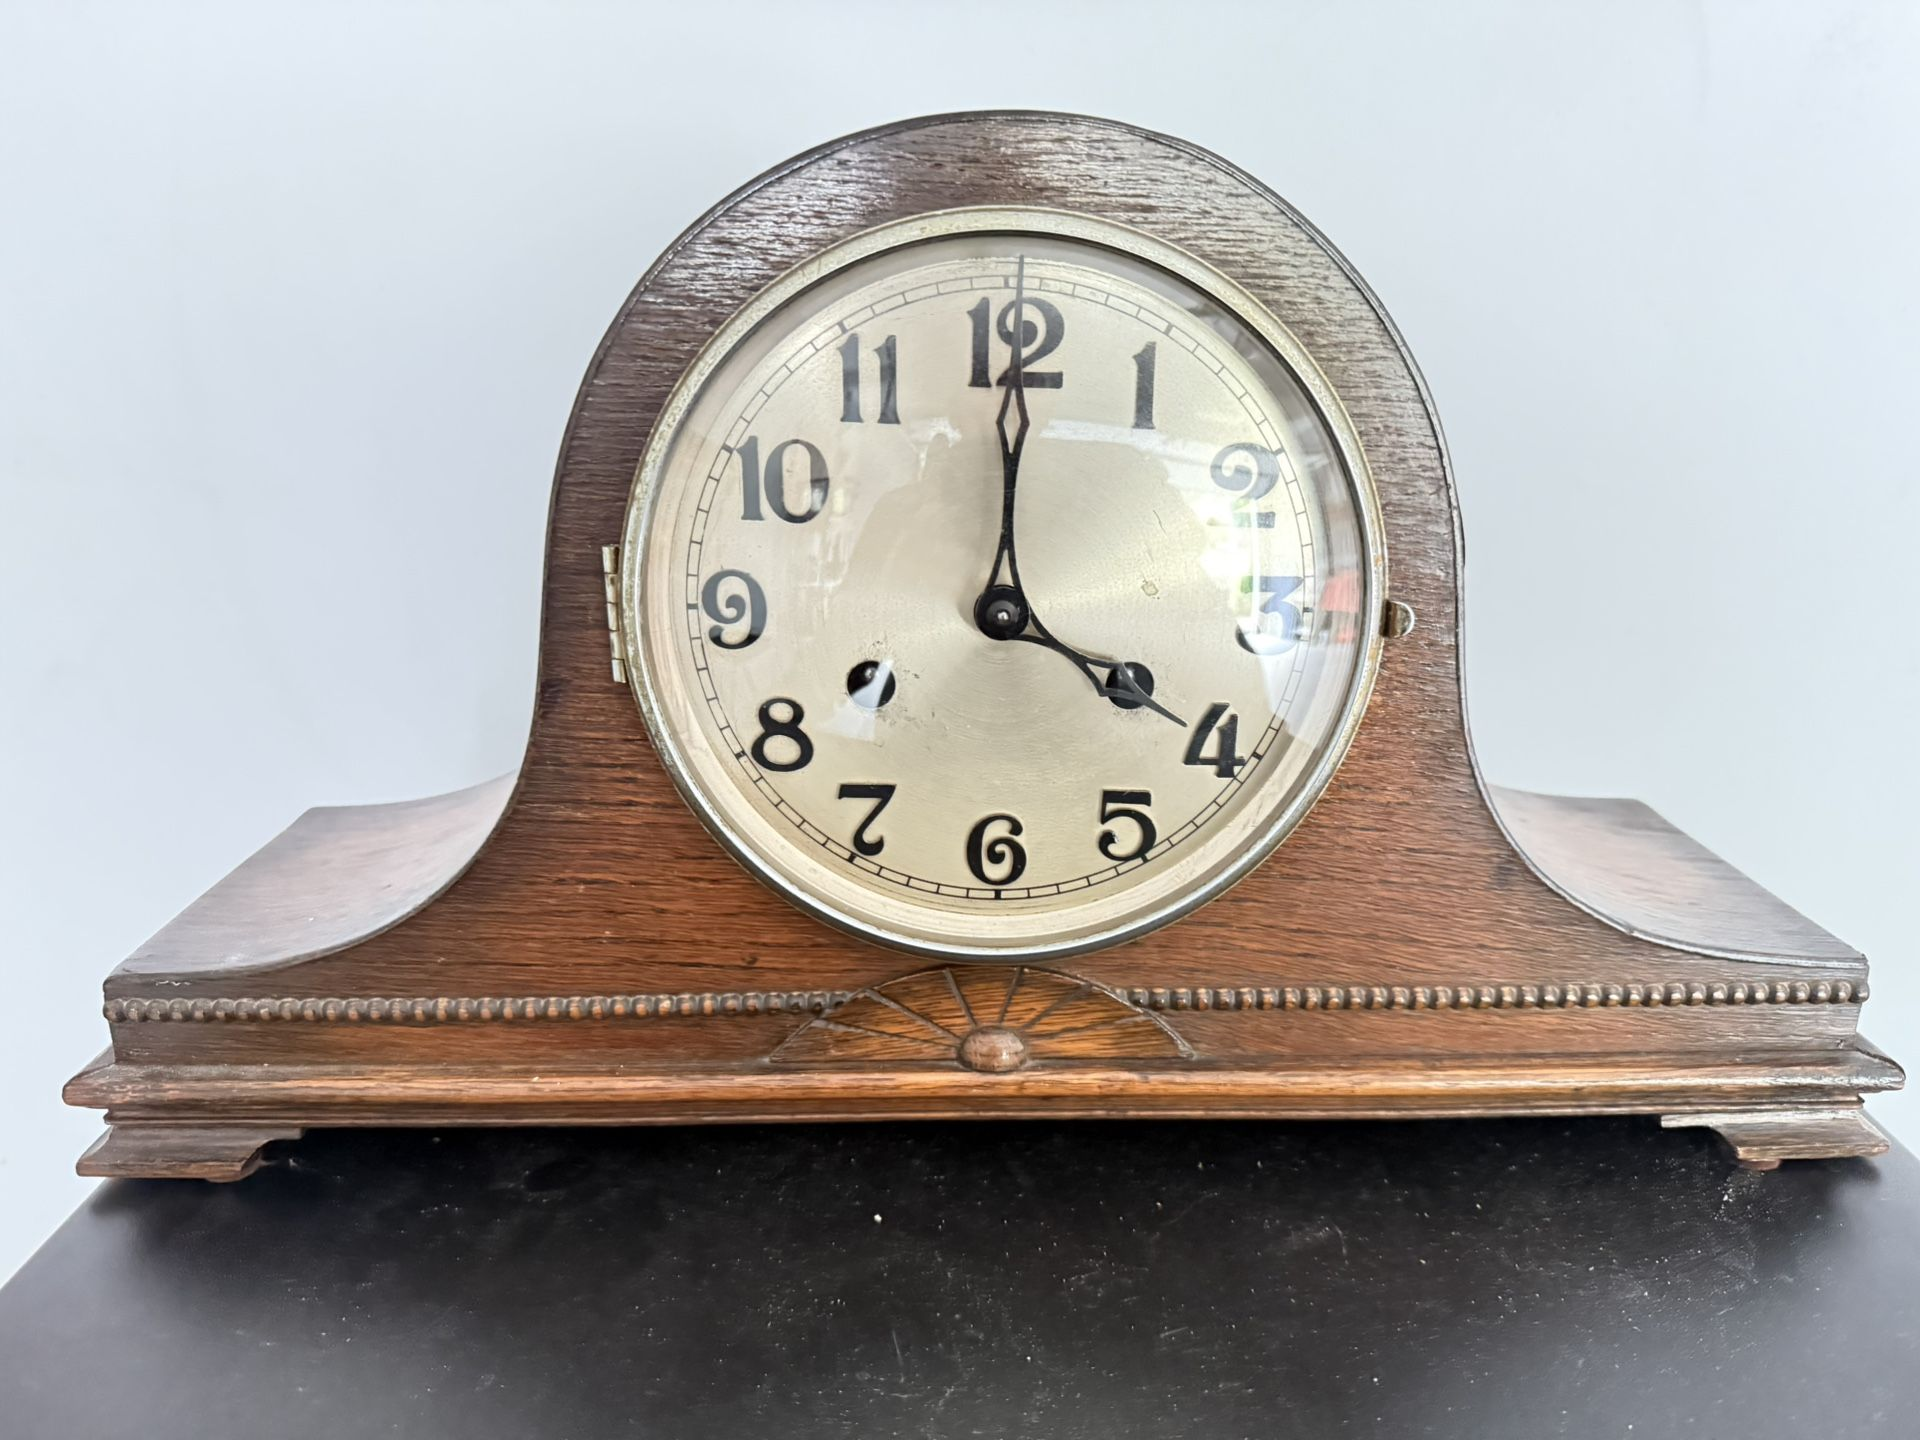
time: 4:00
